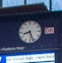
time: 8:26
